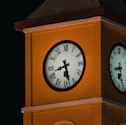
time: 8:27
